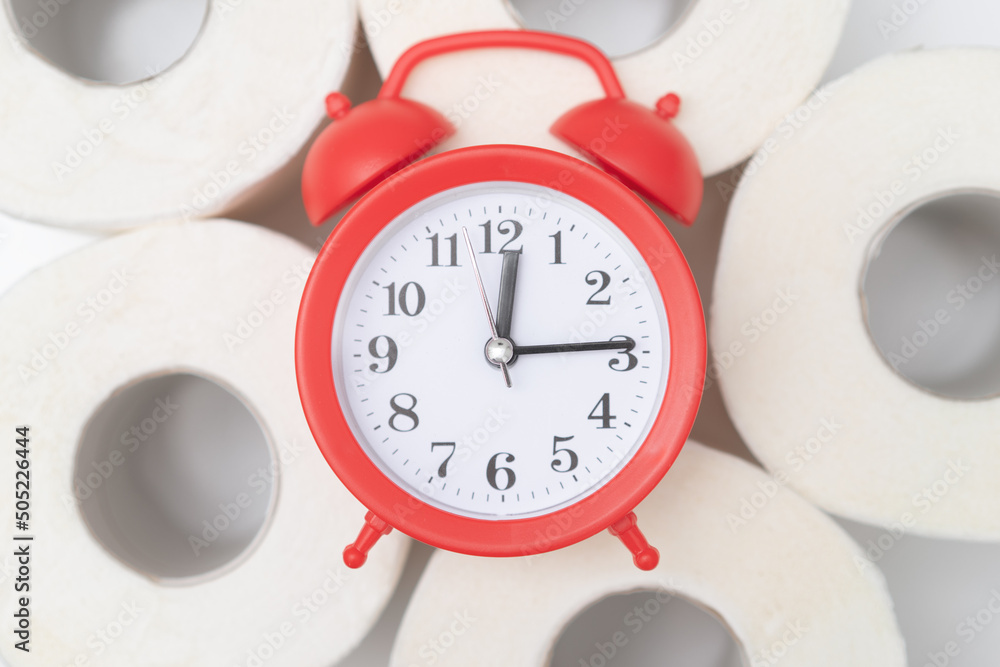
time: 12:14
